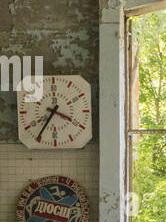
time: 3:35
